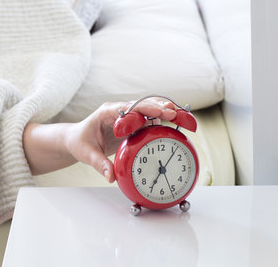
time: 7:06
